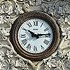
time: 10:13
